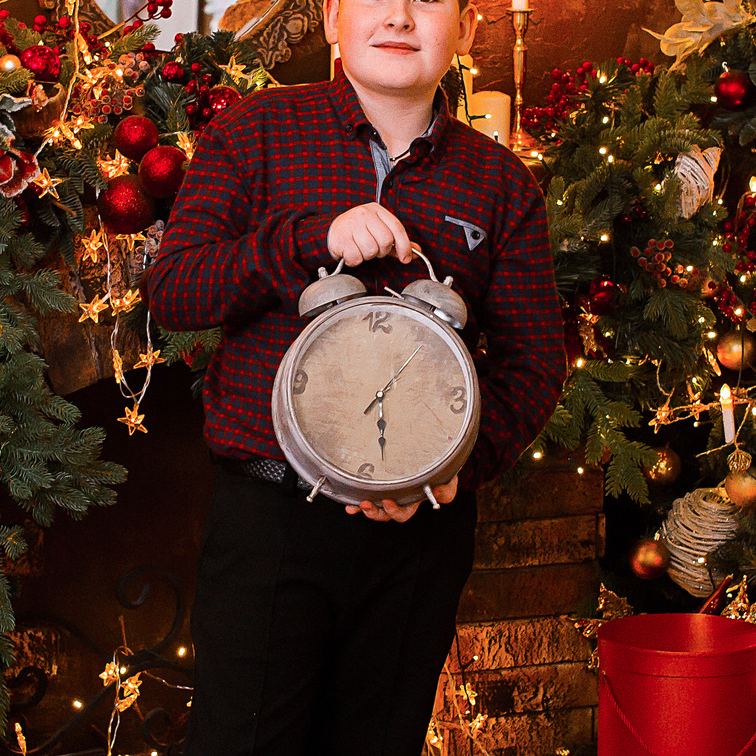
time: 1:28
